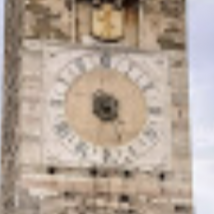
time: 4:31
